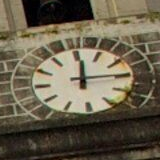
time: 12:14
